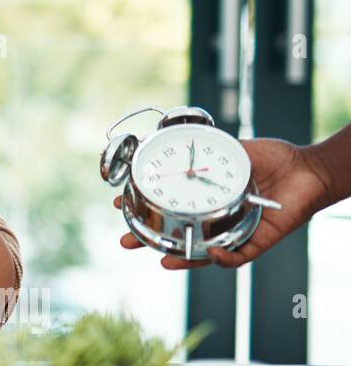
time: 4:01
